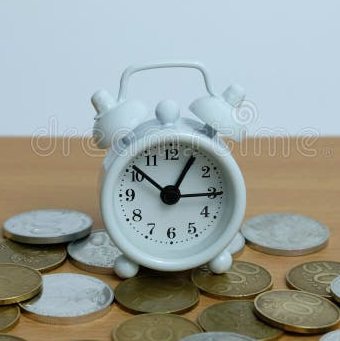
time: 12:51
